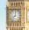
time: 8:01
